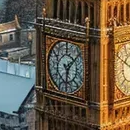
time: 6:08
